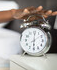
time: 6:01
